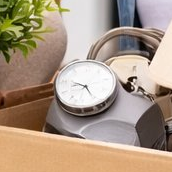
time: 9:25
